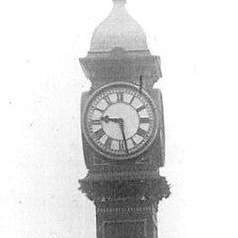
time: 9:28
